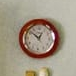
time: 12:52
